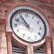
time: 10:48
